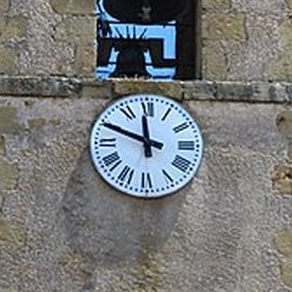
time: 11:48
